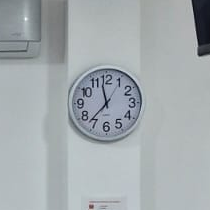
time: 11:36
